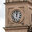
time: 12:02
